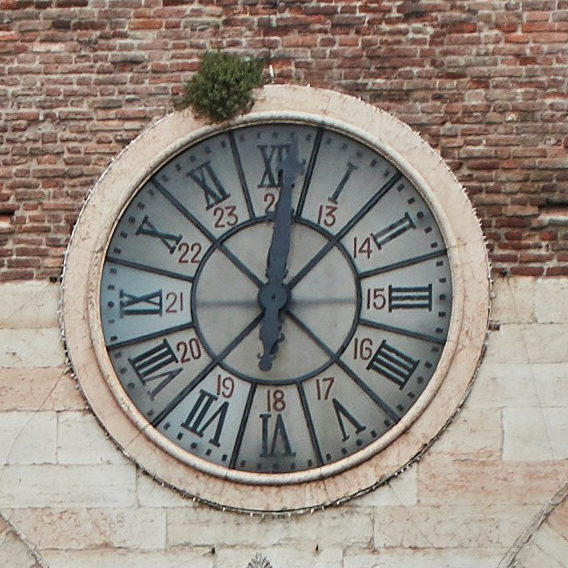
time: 12:07
